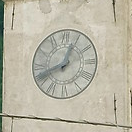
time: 12:41
